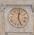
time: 12:26
